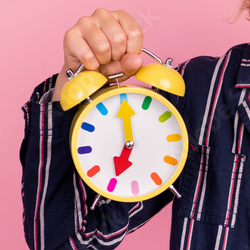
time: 7:00
